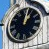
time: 1:02
